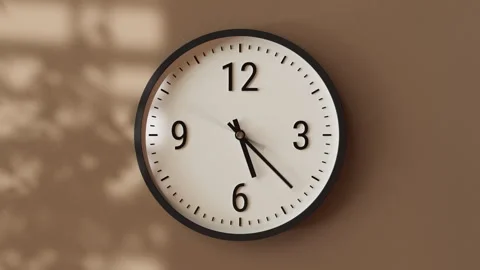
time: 5:22
